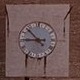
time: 8:52
